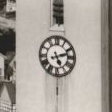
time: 5:12
